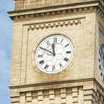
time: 11:49
